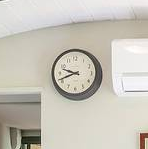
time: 9:41
